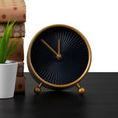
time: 11:52
